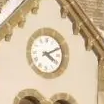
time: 4:10
